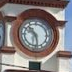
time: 10:28
